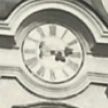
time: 4:12
